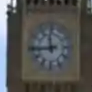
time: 11:44
